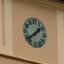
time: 1:38
